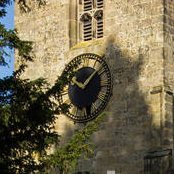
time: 10:07
